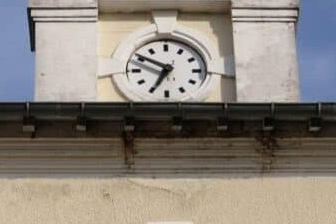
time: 6:50
